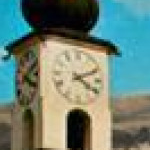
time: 4:10
